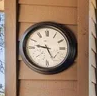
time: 9:25
